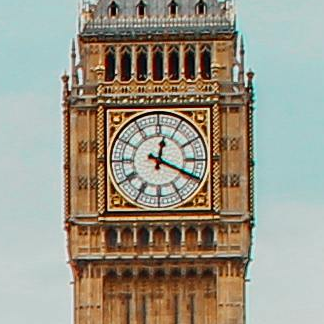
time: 12:19
